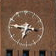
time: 6:46
